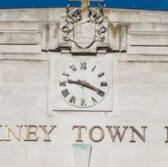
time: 9:19
